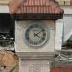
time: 4:08
